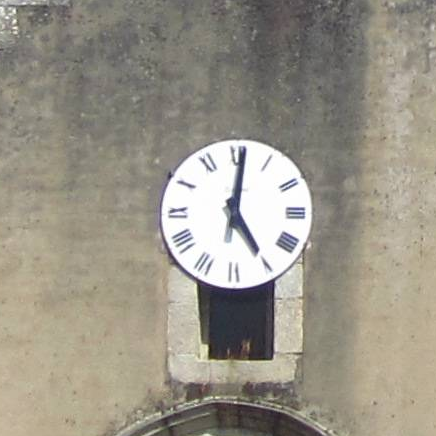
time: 5:01
